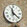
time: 11:21
